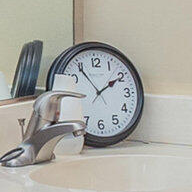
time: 1:53
